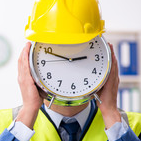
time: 2:48
